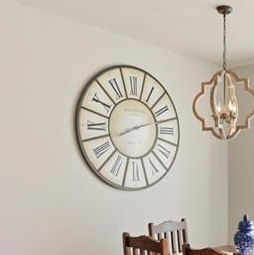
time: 8:12
